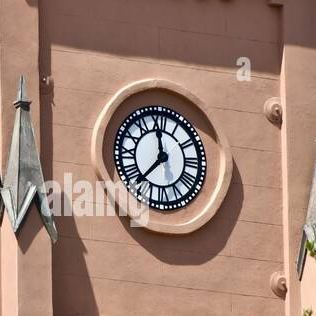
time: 11:37
